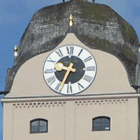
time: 9:33
